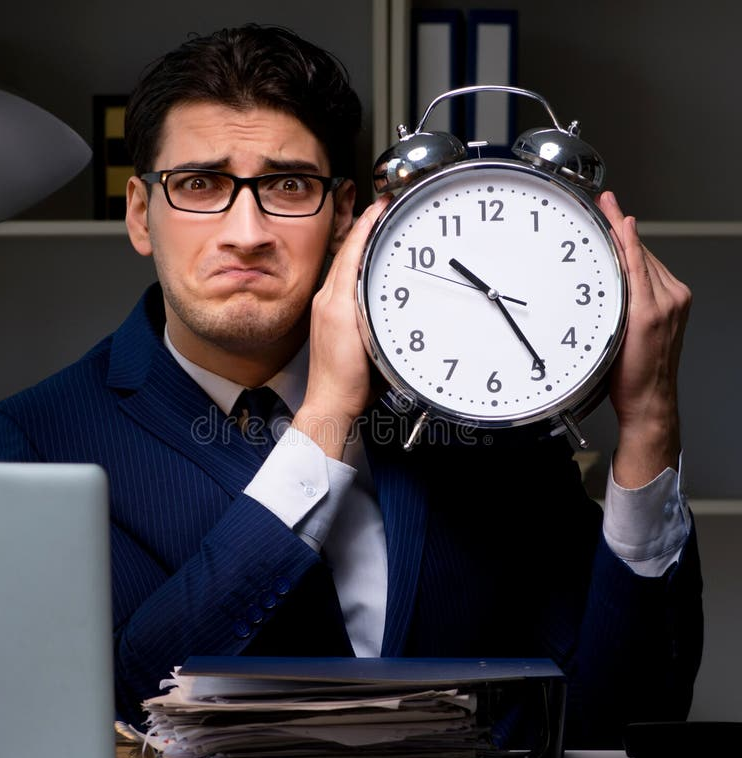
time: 10:24
